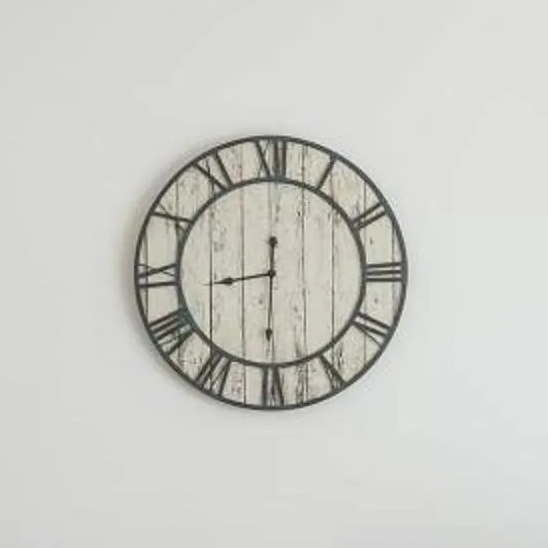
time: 8:30
